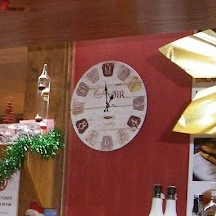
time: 12:58
